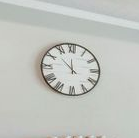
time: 11:52
